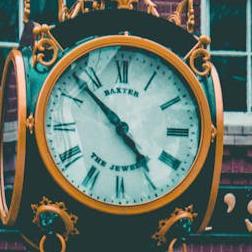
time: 4:52
